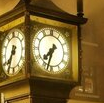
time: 7:32
